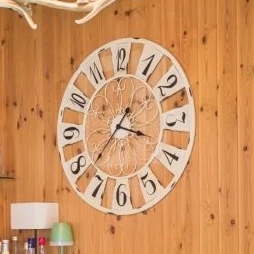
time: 3:37
